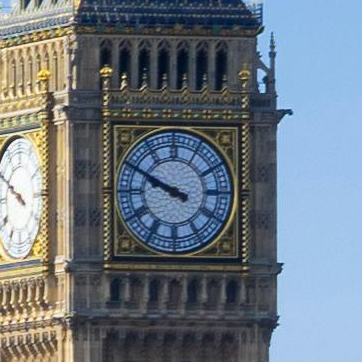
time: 9:49
